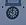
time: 11:48
